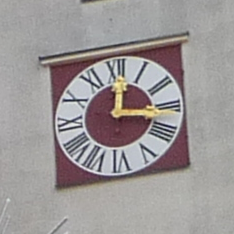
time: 12:16
